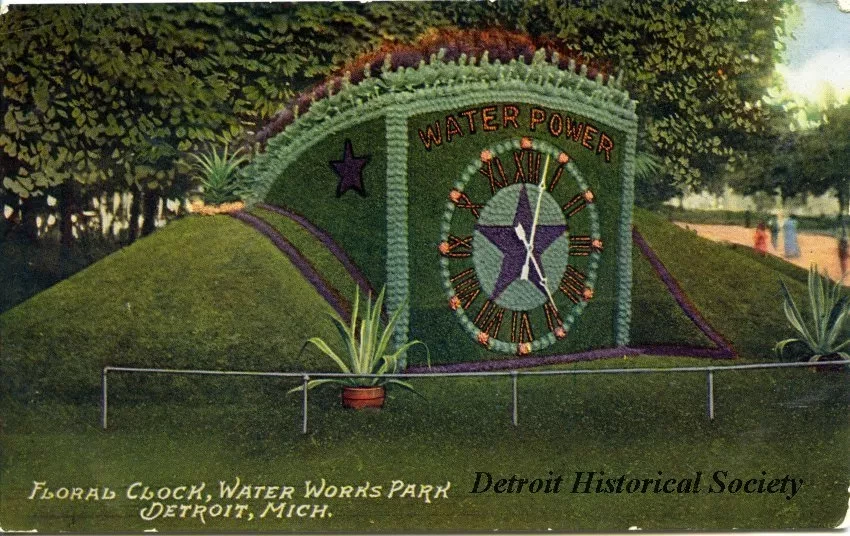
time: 12:24
